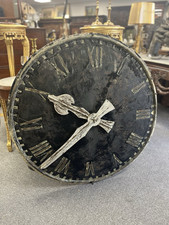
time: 9:38
